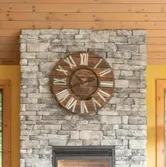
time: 10:41
